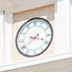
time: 3:39
